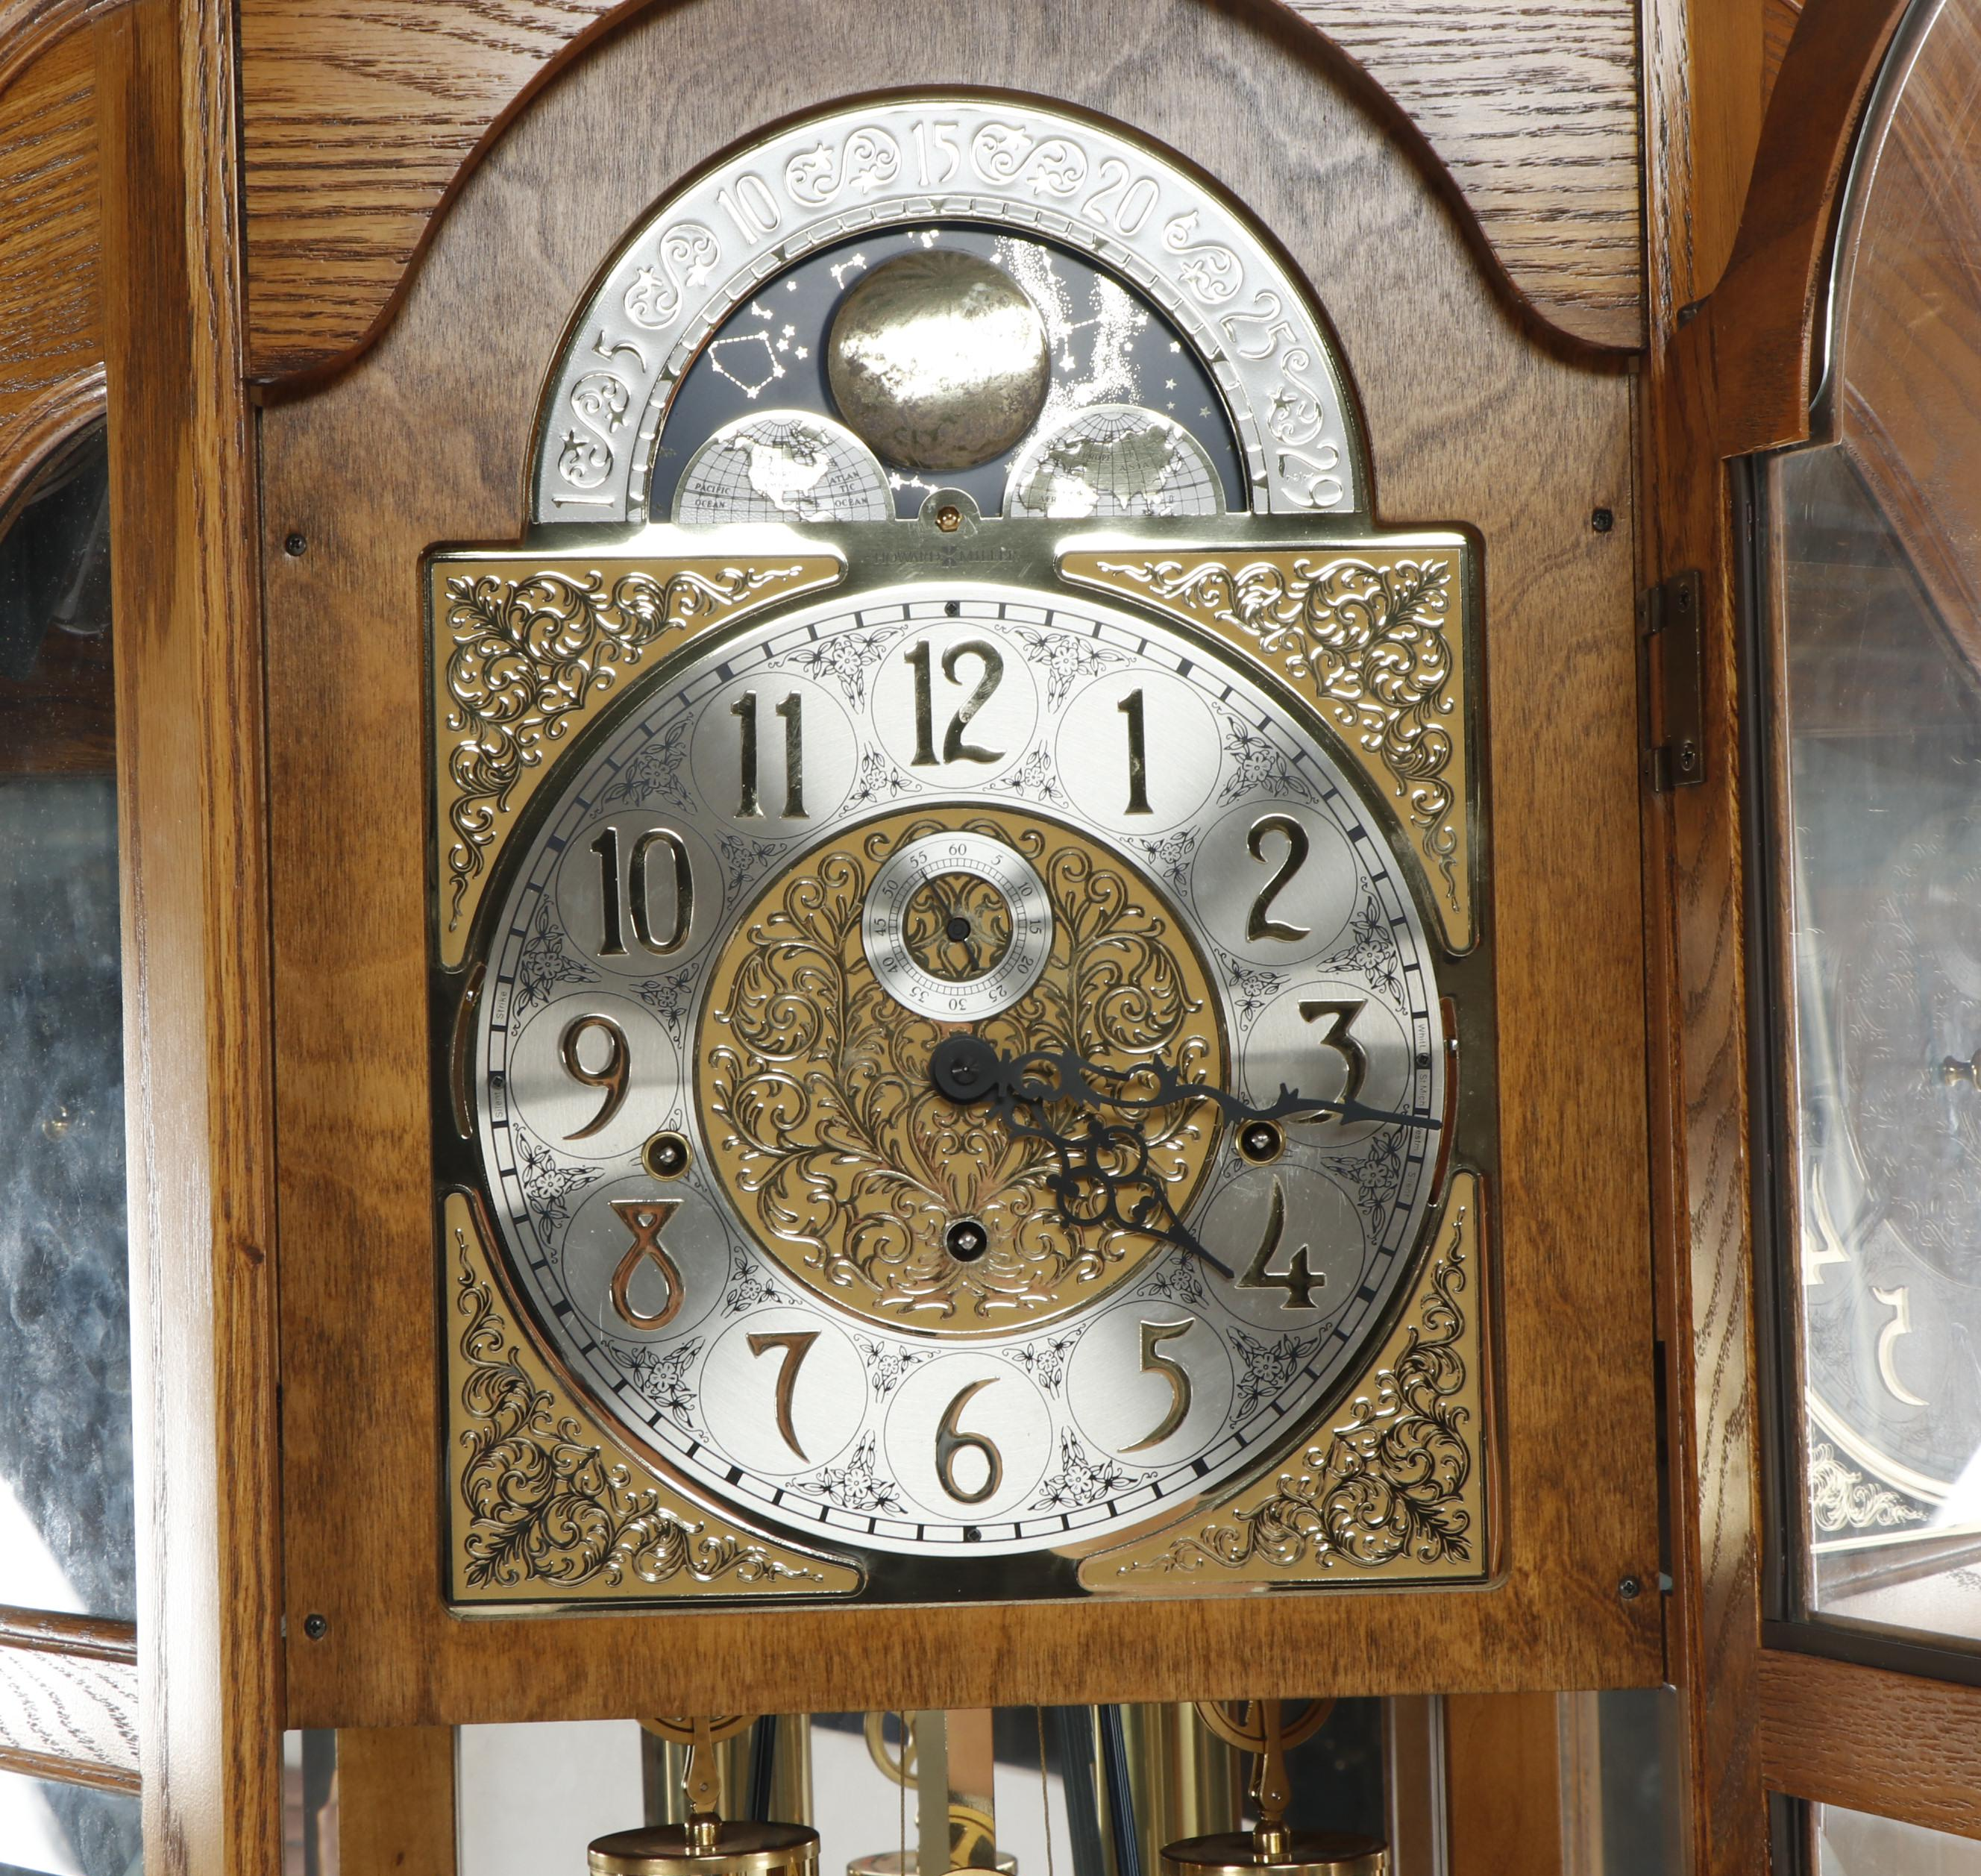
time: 3:20
